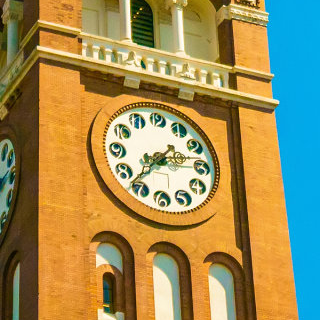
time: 2:37
